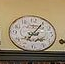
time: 7:05
